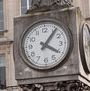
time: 4:06
